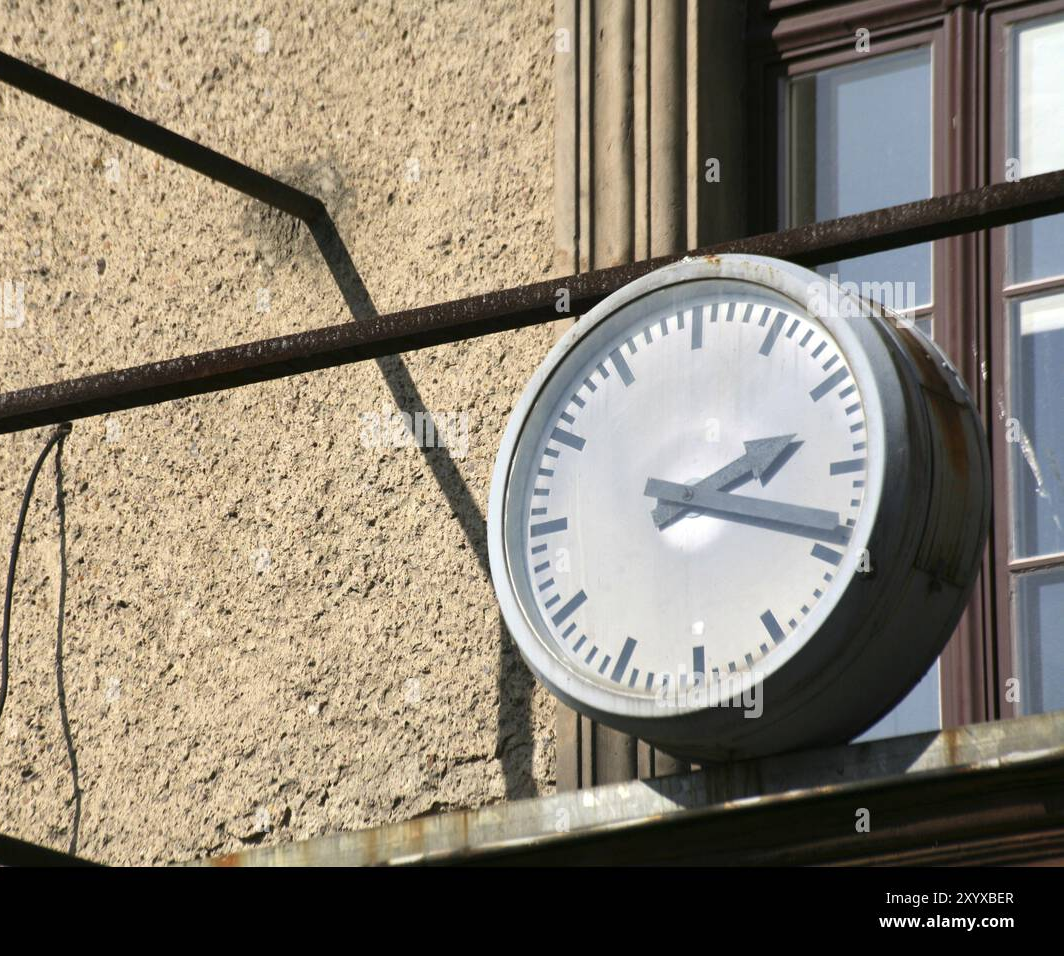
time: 2:18
